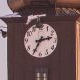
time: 2:34
